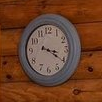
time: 3:20
